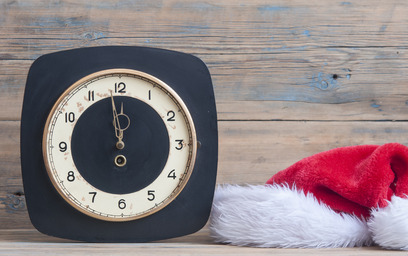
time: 11:58
